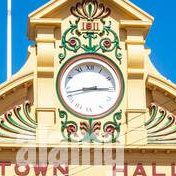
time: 2:42
